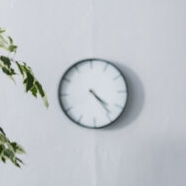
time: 4:23
